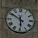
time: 5:50
